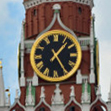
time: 1:24
